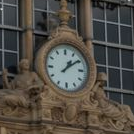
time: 1:09
